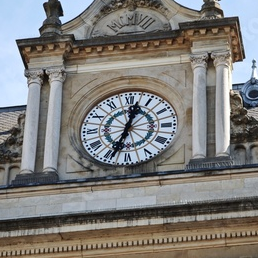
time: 12:33
